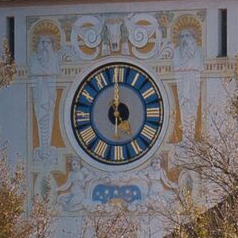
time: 4:59
